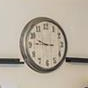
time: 9:45
